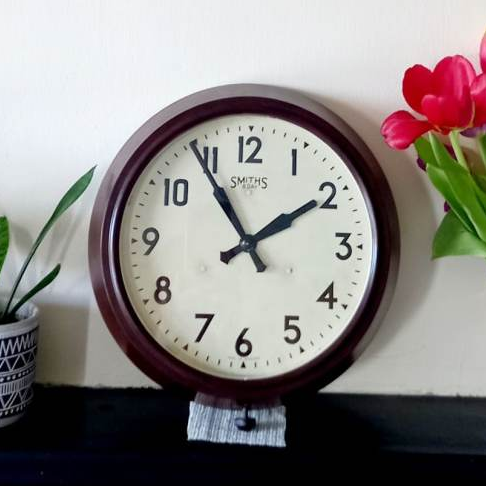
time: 1:54
